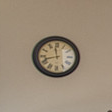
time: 11:42
